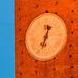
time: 12:33
